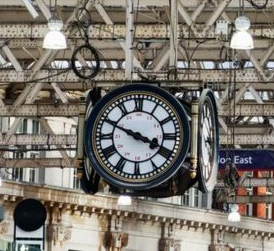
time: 3:48
